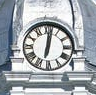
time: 12:01
